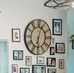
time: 6:03
